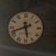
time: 5:41
